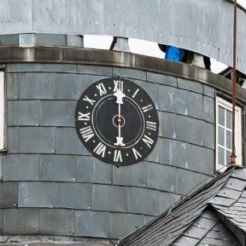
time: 6:00
